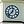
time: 12:37
